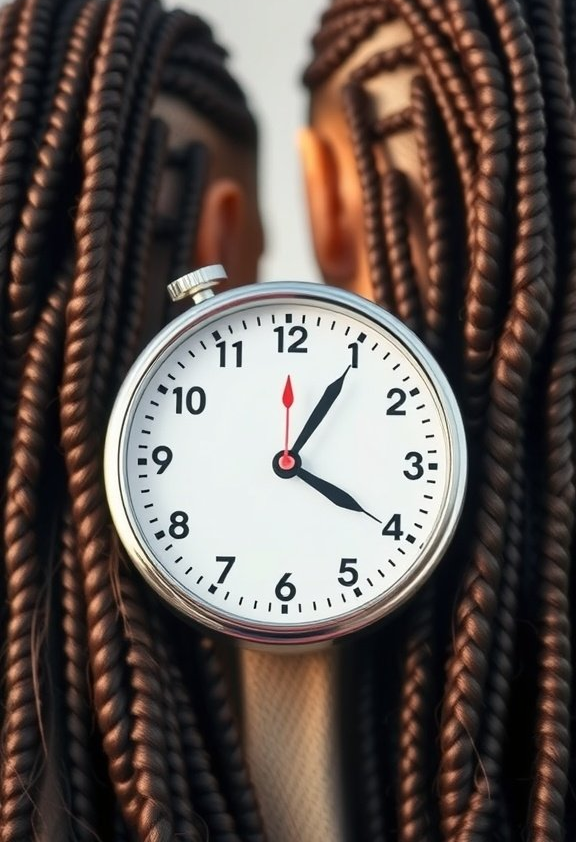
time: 4:05
